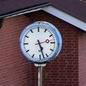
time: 2:27
